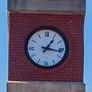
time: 1:16
